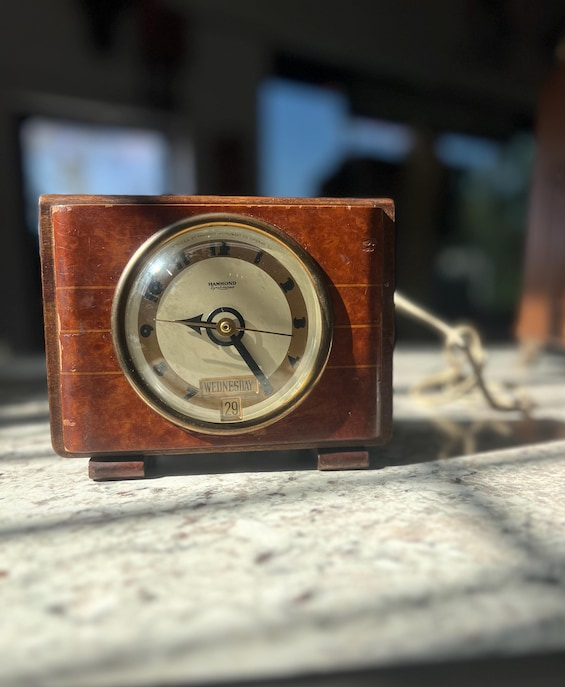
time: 9:24
